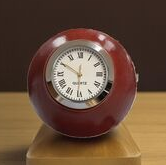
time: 11:50
